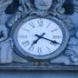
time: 7:18
